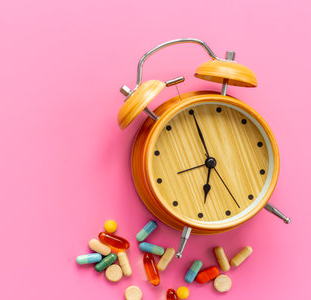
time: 7:00
